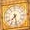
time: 7:28
